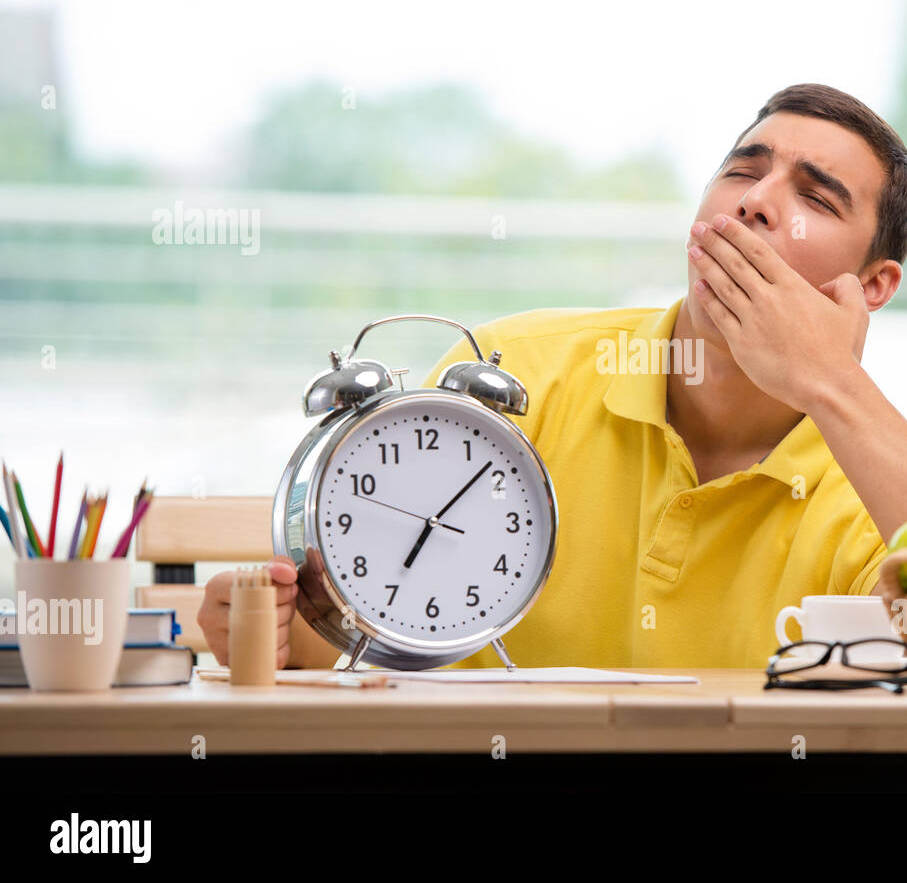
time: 7:08
